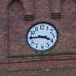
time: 3:44
